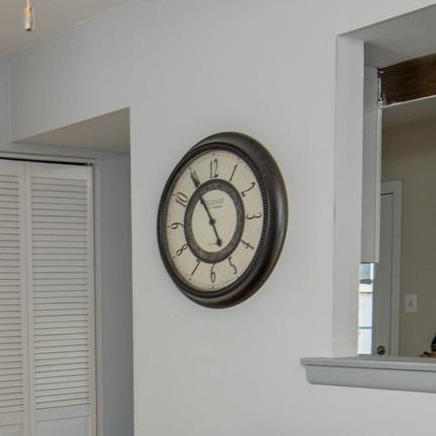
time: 4:54
